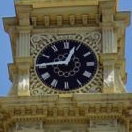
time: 12:45
